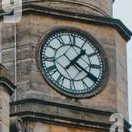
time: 1:20
